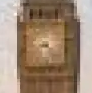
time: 8:22
